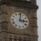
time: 3:01
